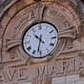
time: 10:32
